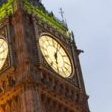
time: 6:03
